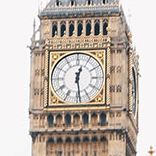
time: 12:28
